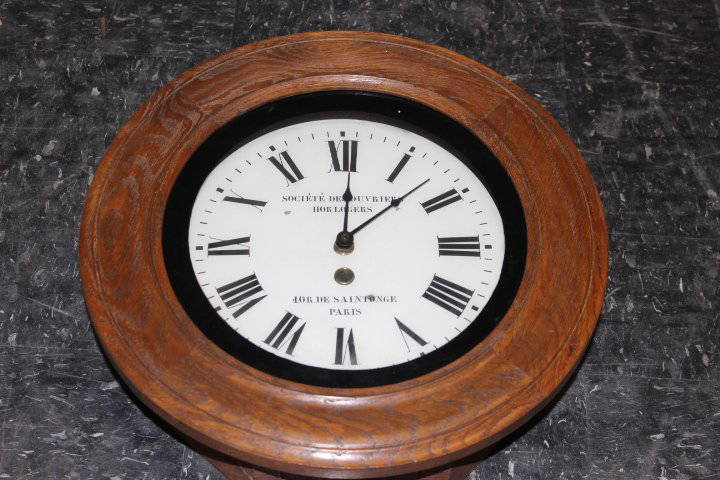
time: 12:07
